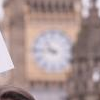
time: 10:45
